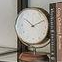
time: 10:10
